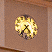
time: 4:36
